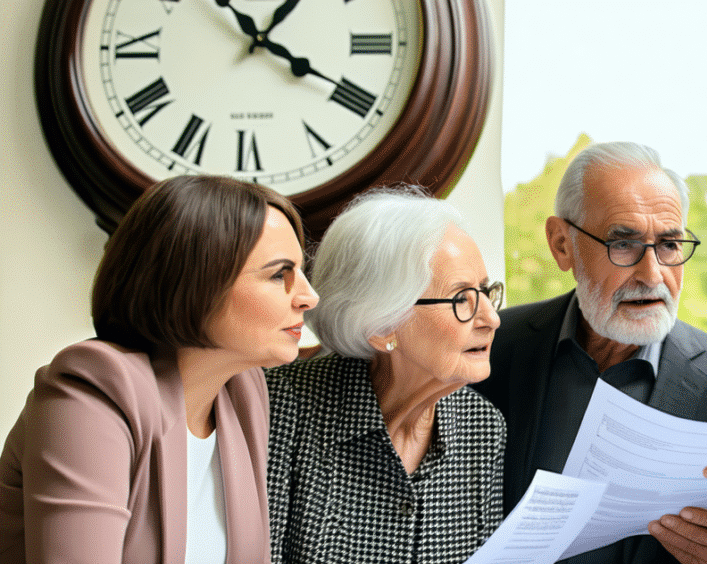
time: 1:19
